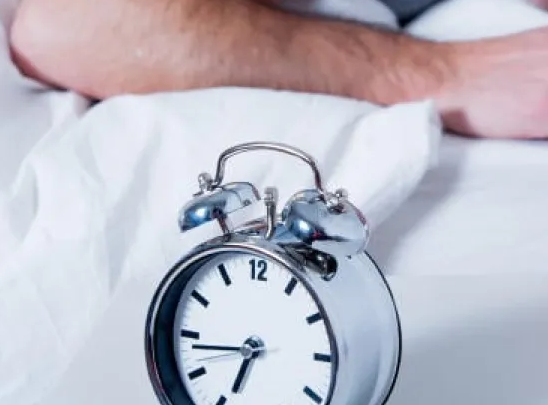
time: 6:43
